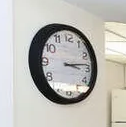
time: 3:13
